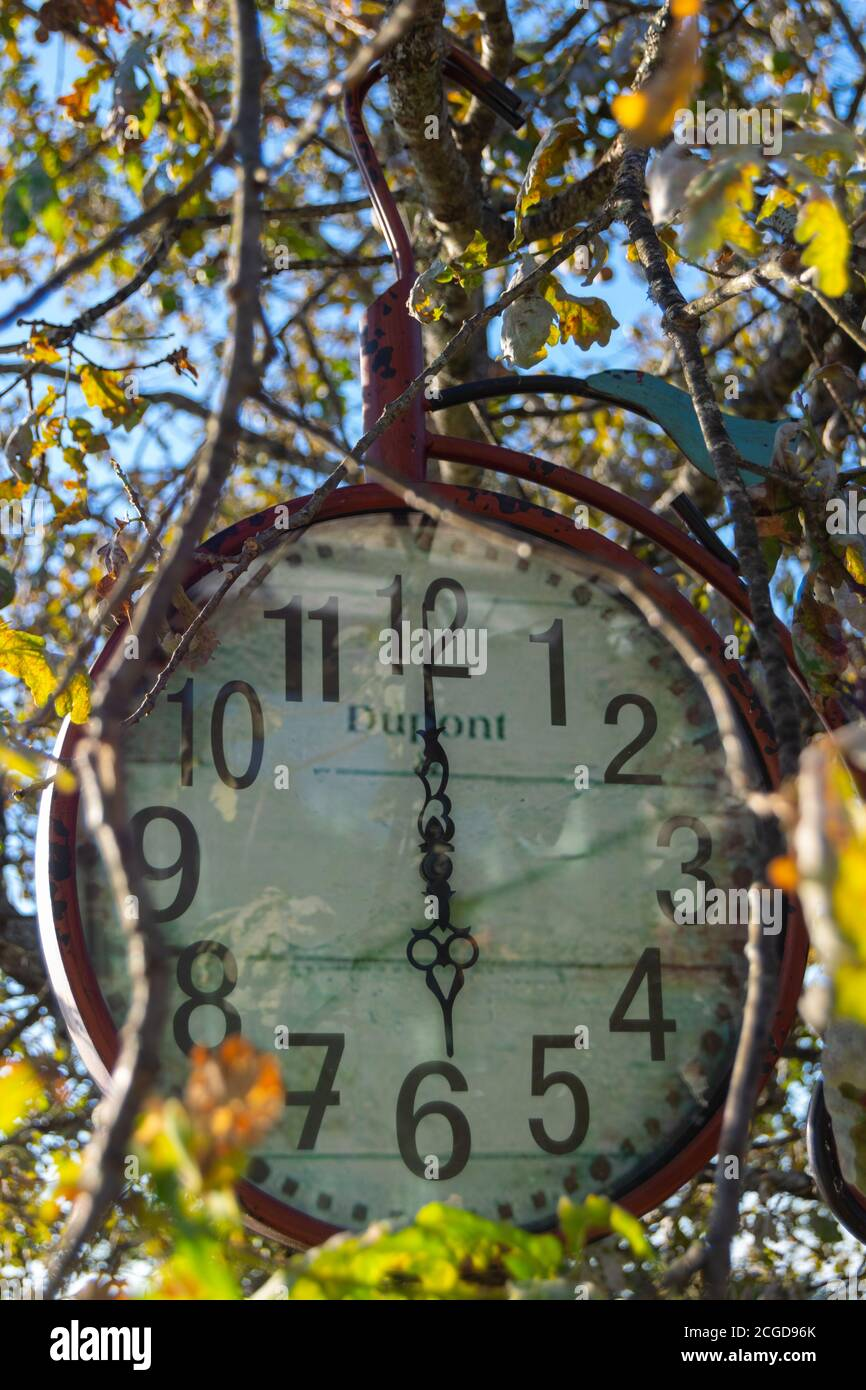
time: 5:59
